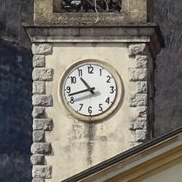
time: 10:42
